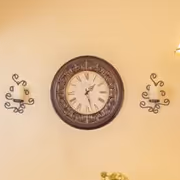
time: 1:27
